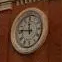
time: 11:46
